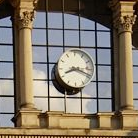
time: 8:18
